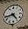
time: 4:42
